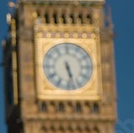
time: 5:27
